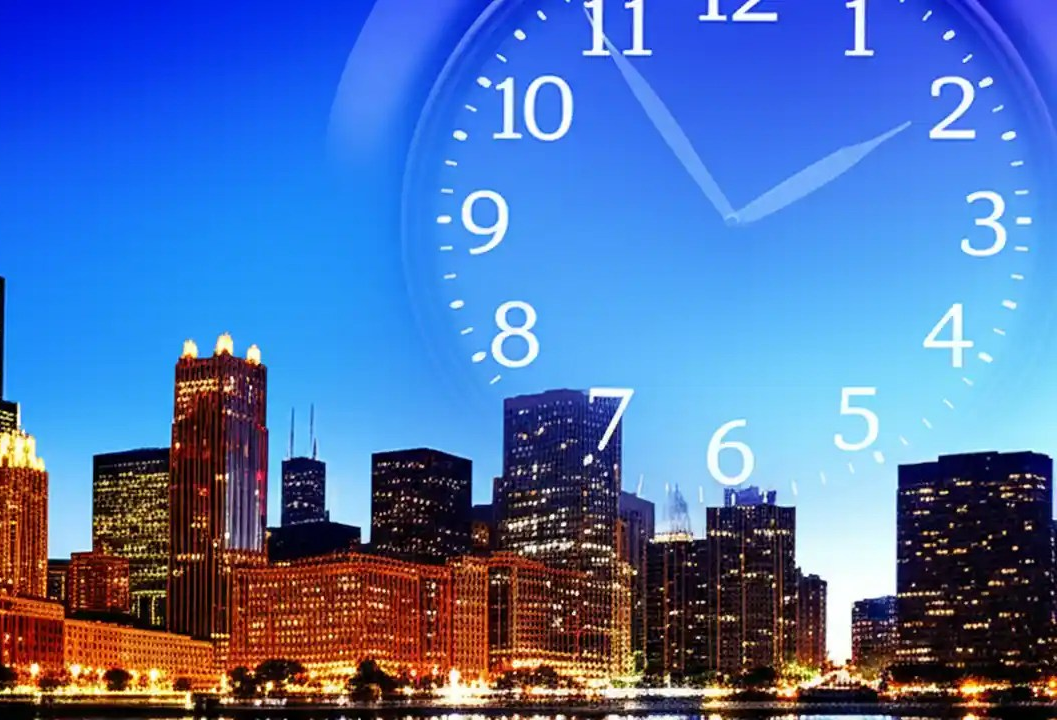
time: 1:54
